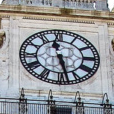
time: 11:28
